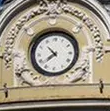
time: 7:52
